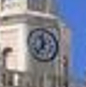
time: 11:36
